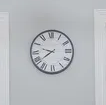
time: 9:39
